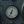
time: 12:34
